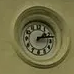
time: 2:13
